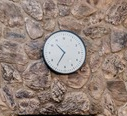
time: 10:35
